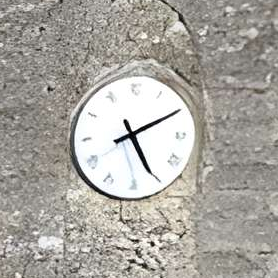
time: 5:10
